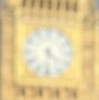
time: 4:31
